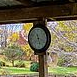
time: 11:17
